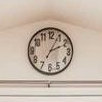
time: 2:04
